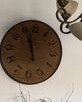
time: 10:57
